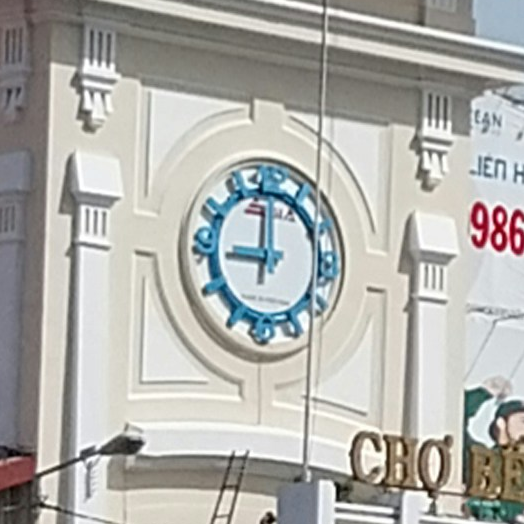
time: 9:00
